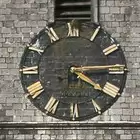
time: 4:14
